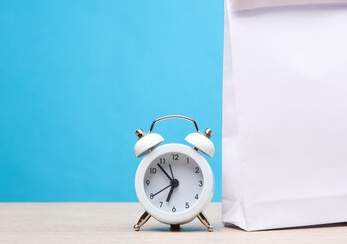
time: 6:53
